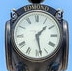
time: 1:28
